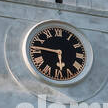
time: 5:46
